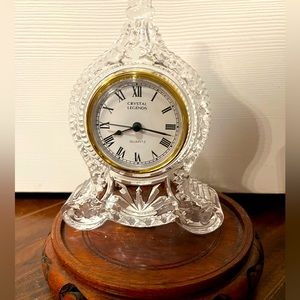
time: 8:16
